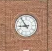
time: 8:54
